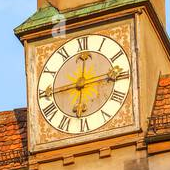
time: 12:14
